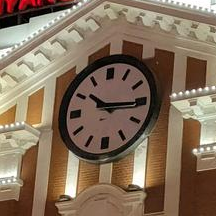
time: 10:15
